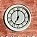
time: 6:59
